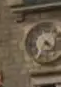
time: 4:35
